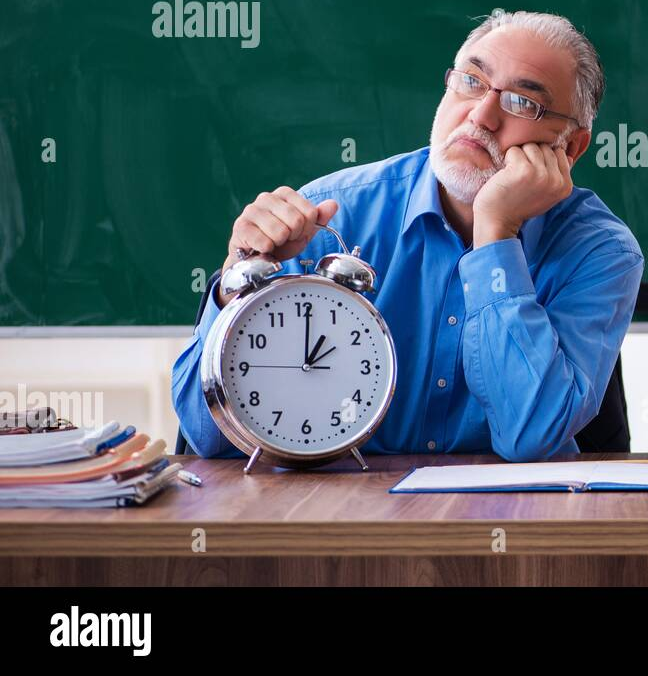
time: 1:00
